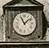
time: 11:08
